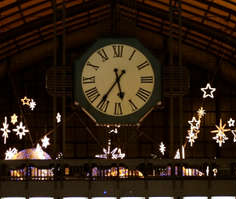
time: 5:35
